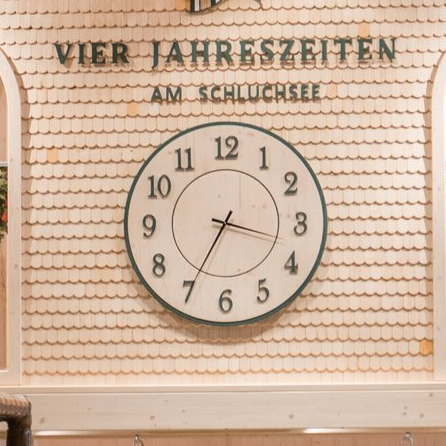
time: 3:34
